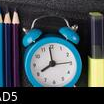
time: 7:58
